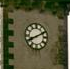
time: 8:10
